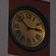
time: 2:52
